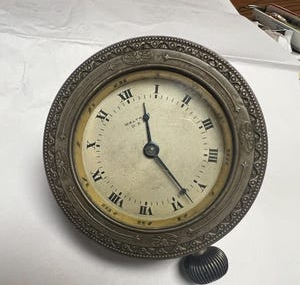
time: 11:22
